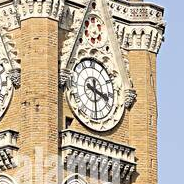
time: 3:29
